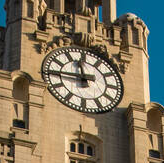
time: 11:44
